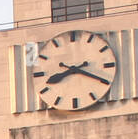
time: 8:19
